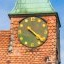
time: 4:22
